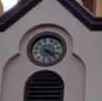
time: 4:17
